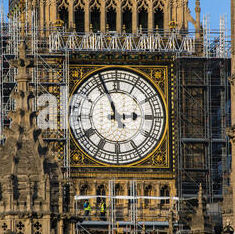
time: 2:56
